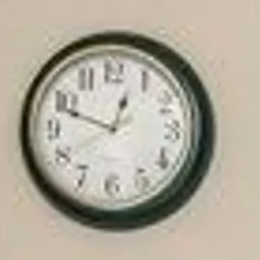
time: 12:48
